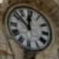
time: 11:51
